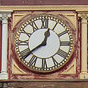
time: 12:38
